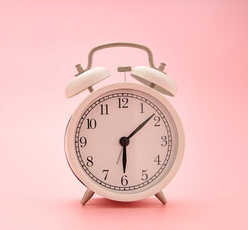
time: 6:08
